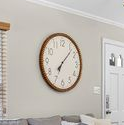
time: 7:07
